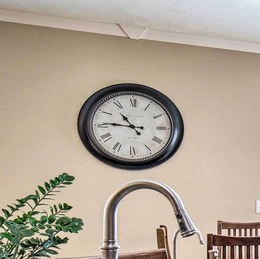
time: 10:45
